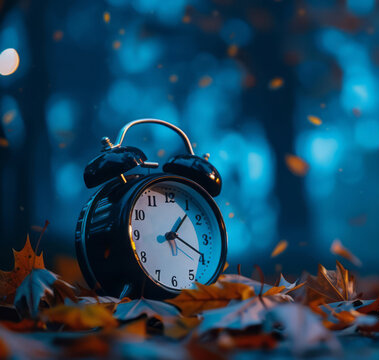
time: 1:19
